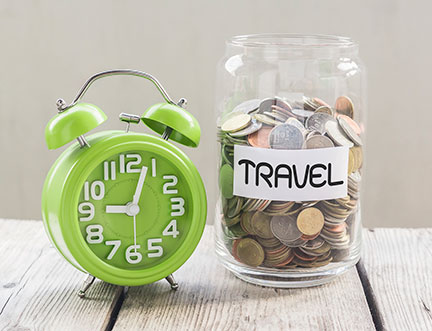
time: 9:03
